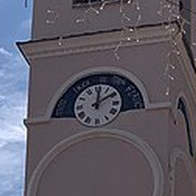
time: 12:09
